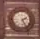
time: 2:25
